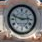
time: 2:48
